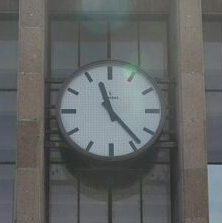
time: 11:23
